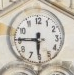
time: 5:45
